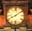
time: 8:09
